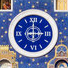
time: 3:00
